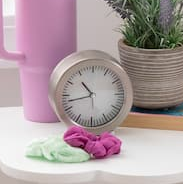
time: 10:42
